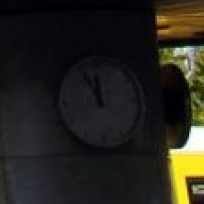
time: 11:55
